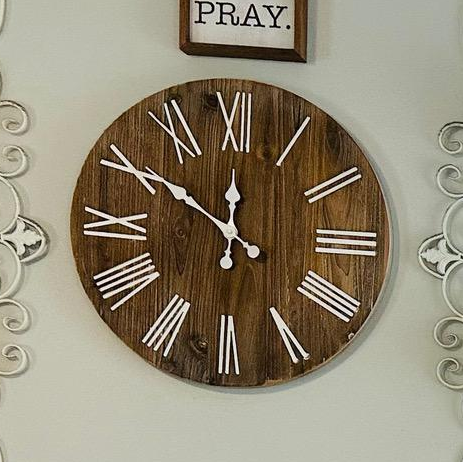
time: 11:50
